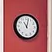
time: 11:02
